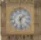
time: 1:28
